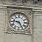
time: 9:25
